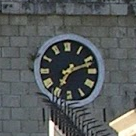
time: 7:11
